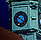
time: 10:21
